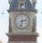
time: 2:32
